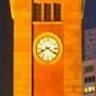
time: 8:20
